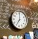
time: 7:00
